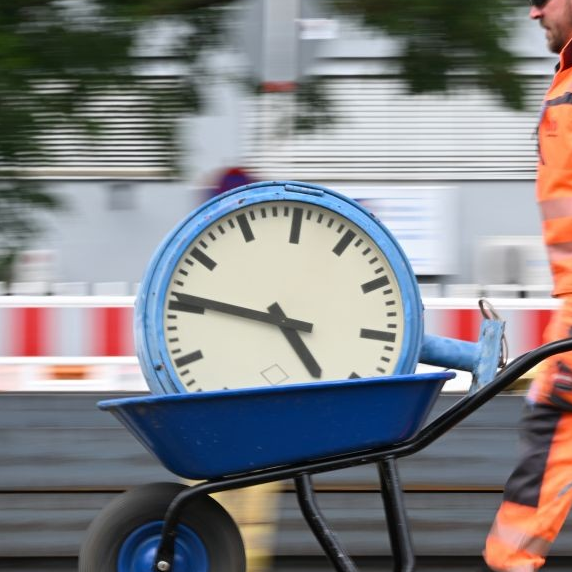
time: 4:46
